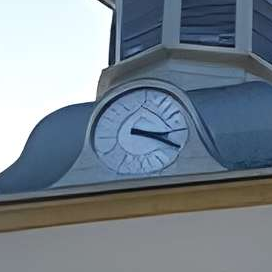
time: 3:19
